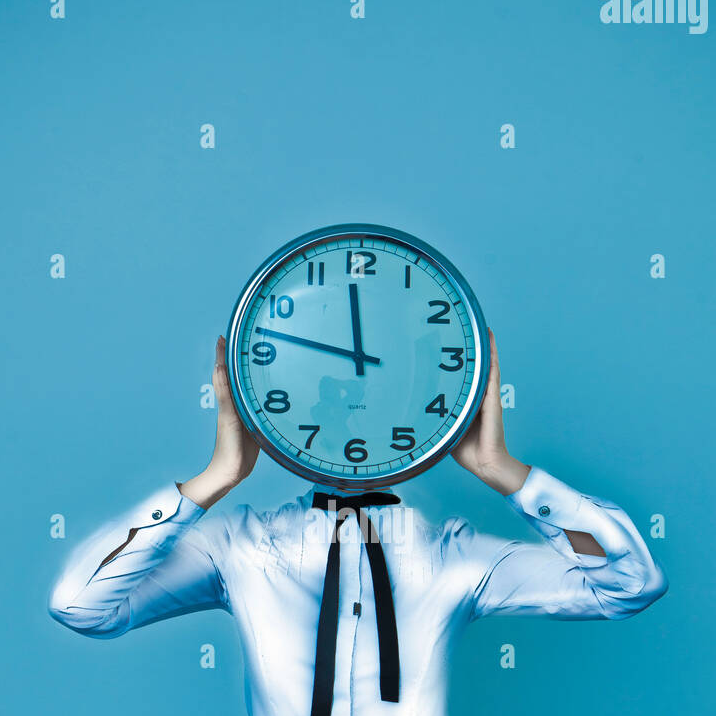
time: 11:47
